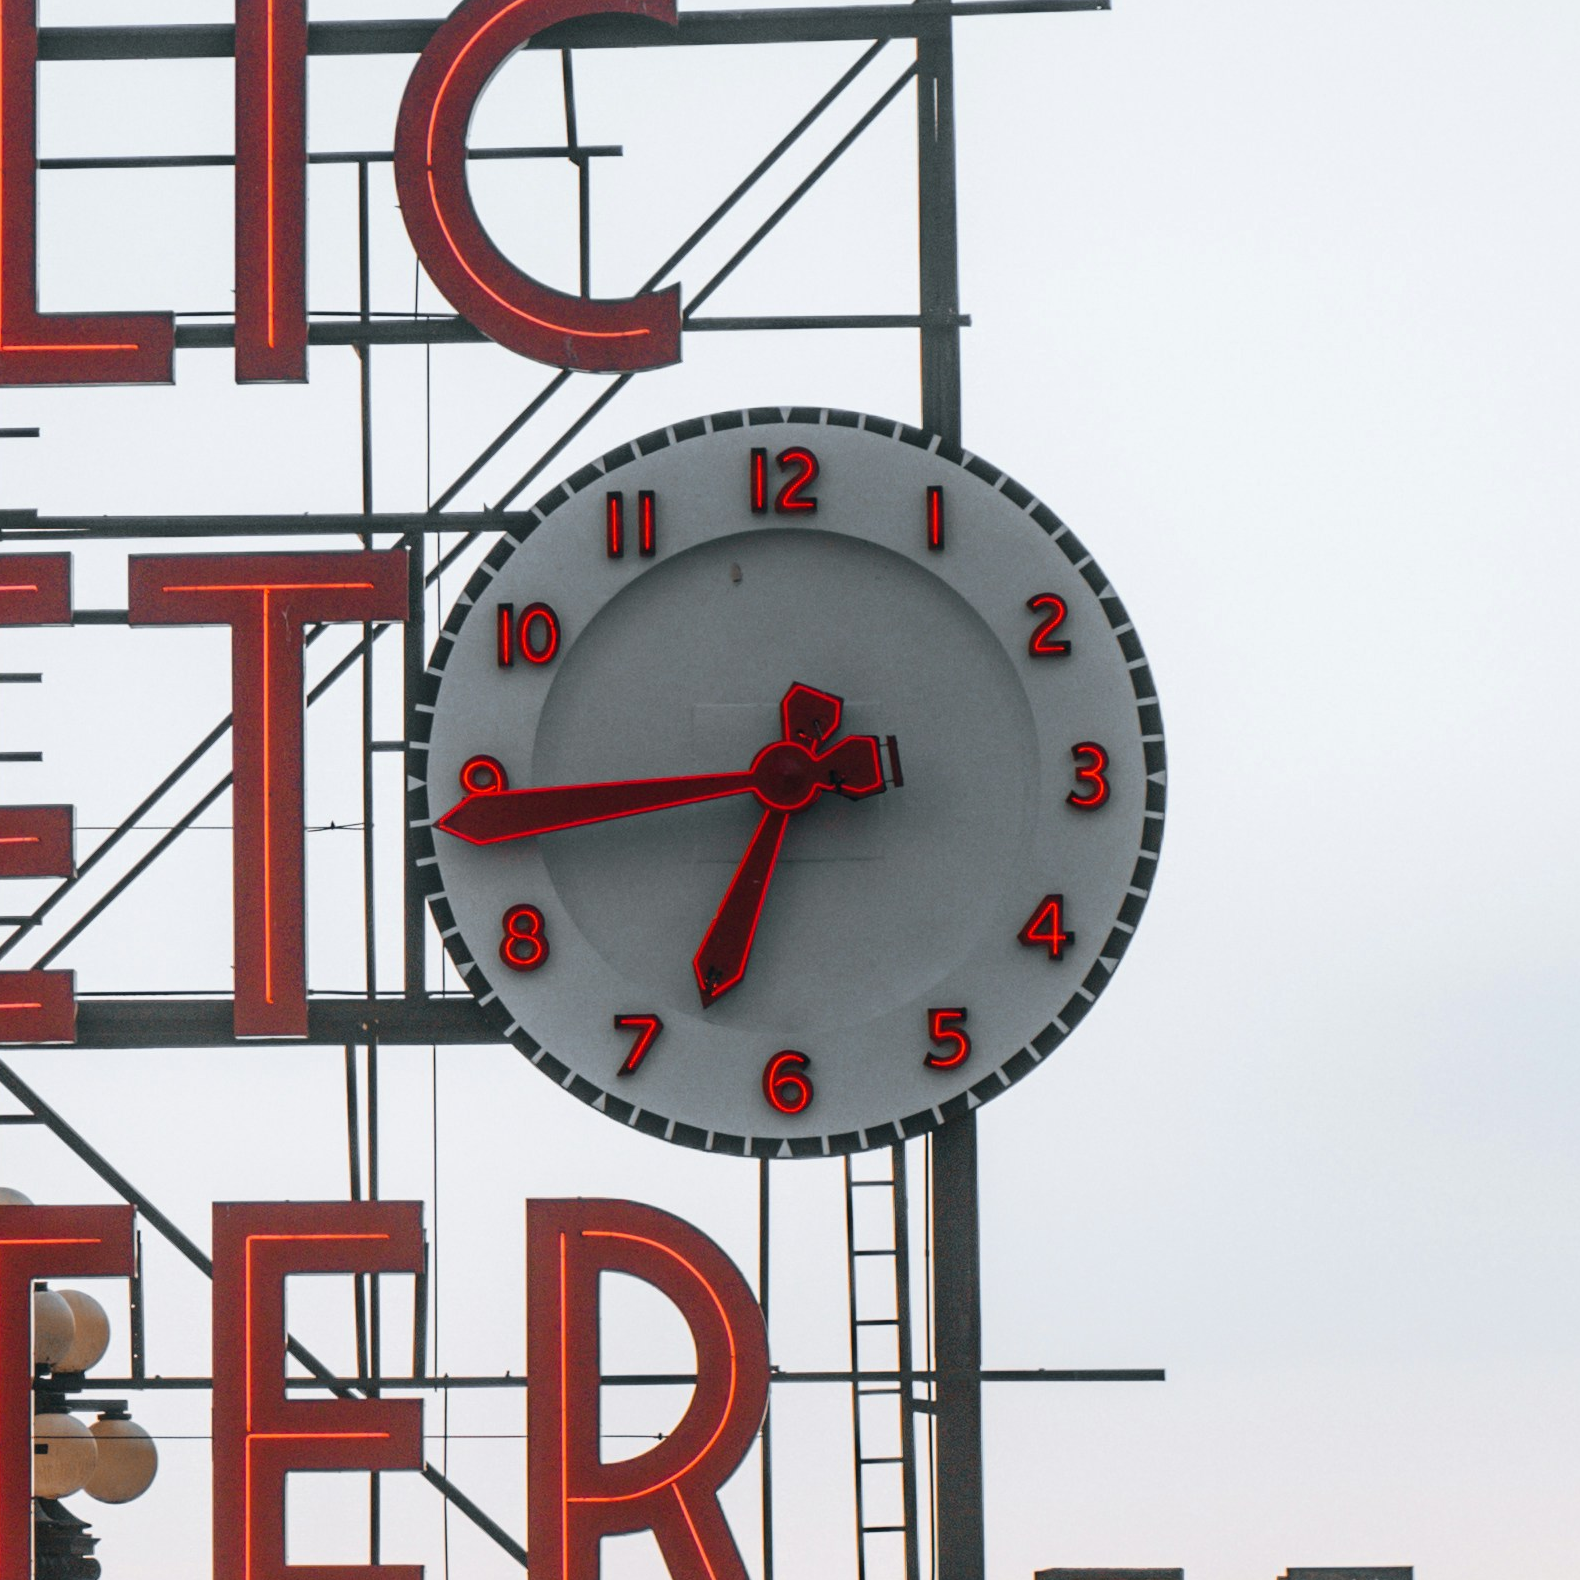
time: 6:44
